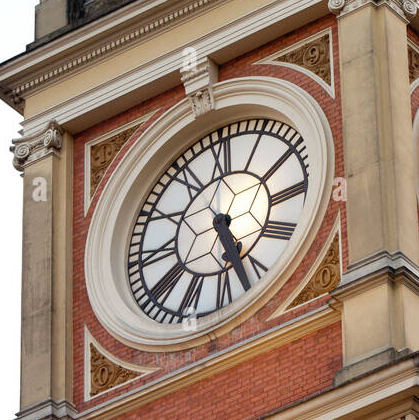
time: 5:27
